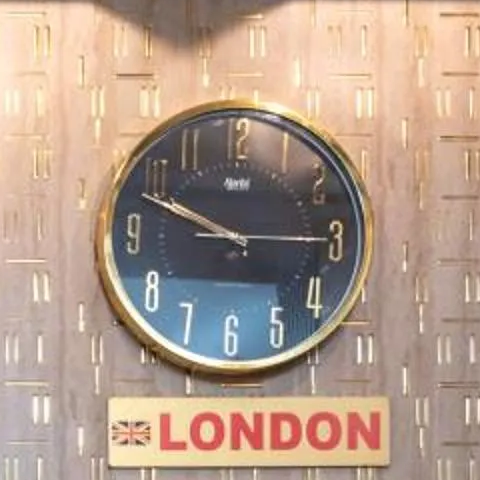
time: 9:49
